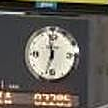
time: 11:32
